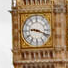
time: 9:18
